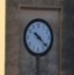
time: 10:22
